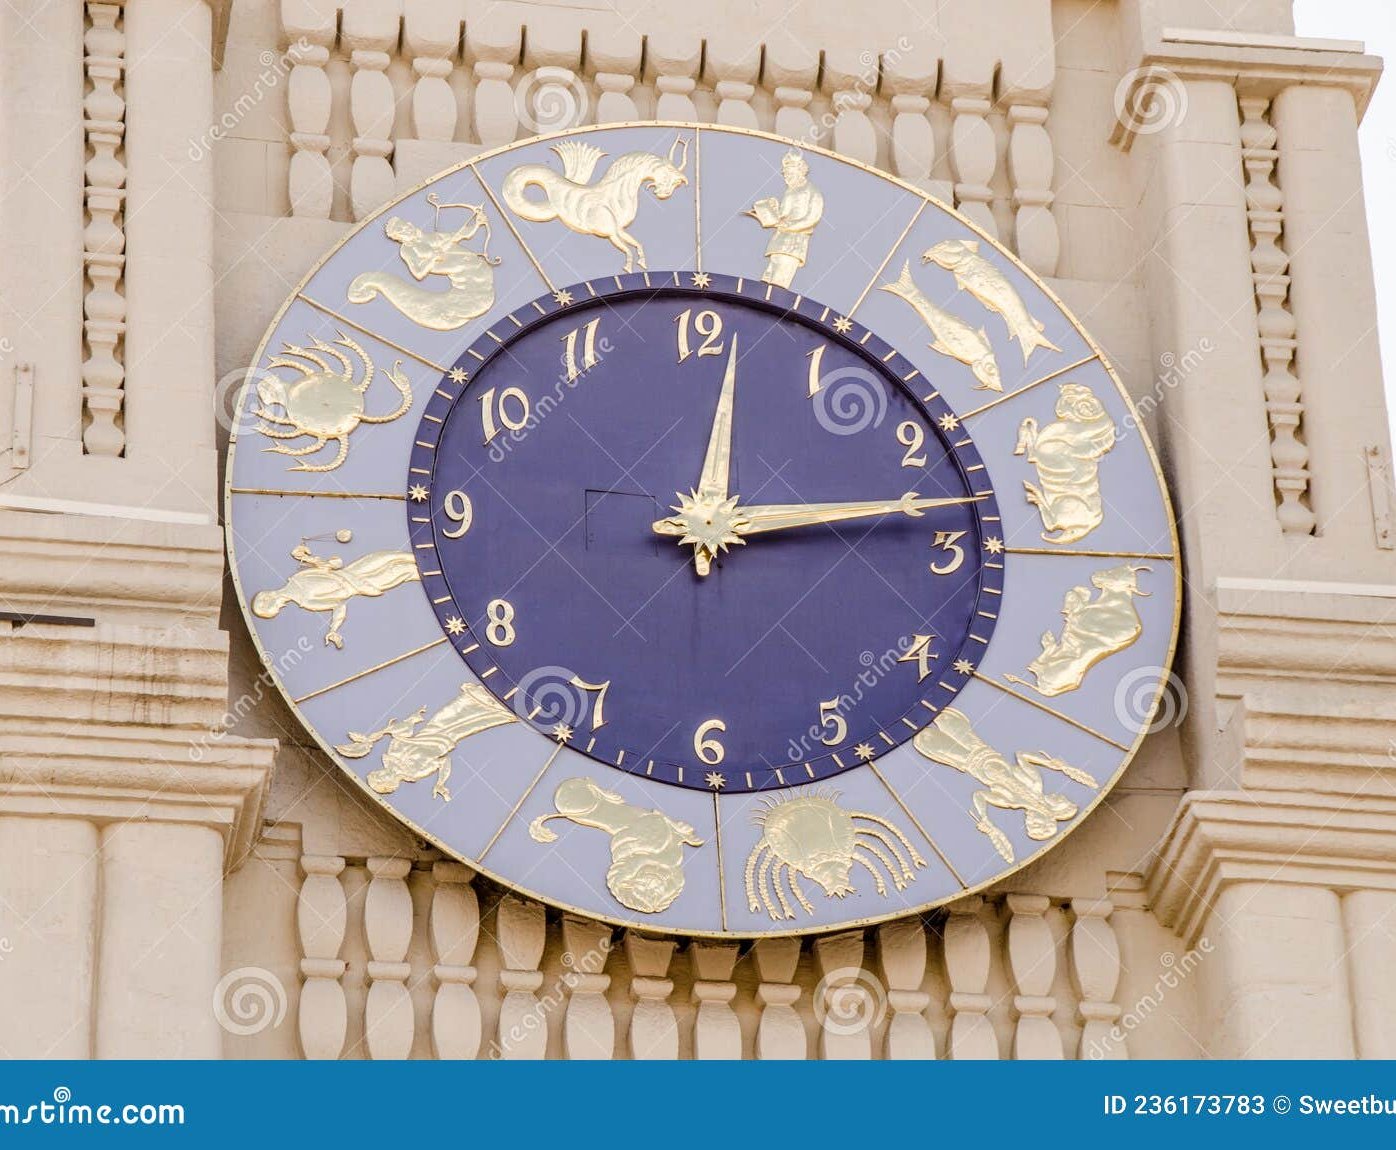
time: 12:13
